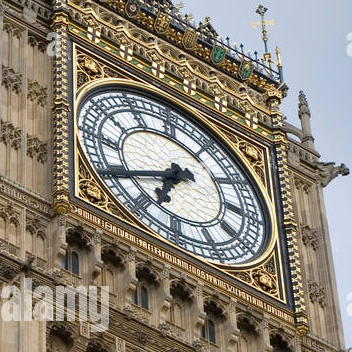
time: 6:40
